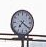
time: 7:20
